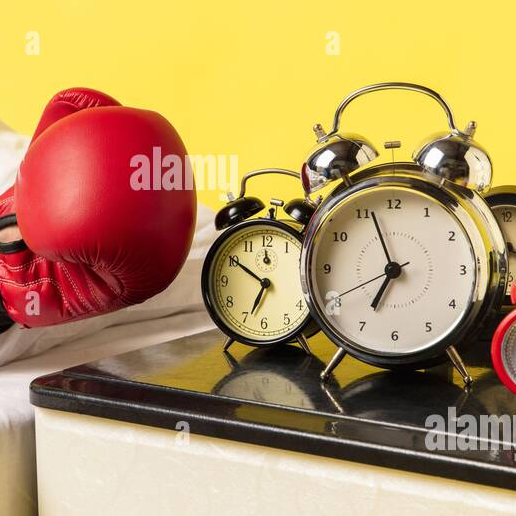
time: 6:50
